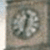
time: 12:32
